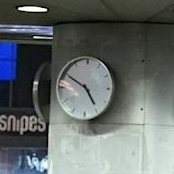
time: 4:49
